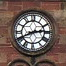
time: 2:40
